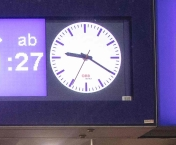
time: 9:20
